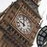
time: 10:00
